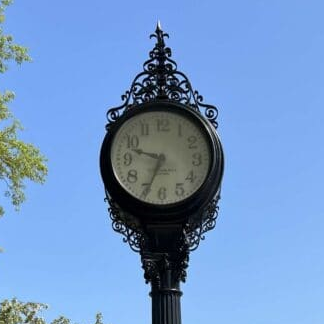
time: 9:34
